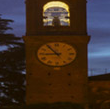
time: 8:54
